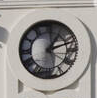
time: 1:12
